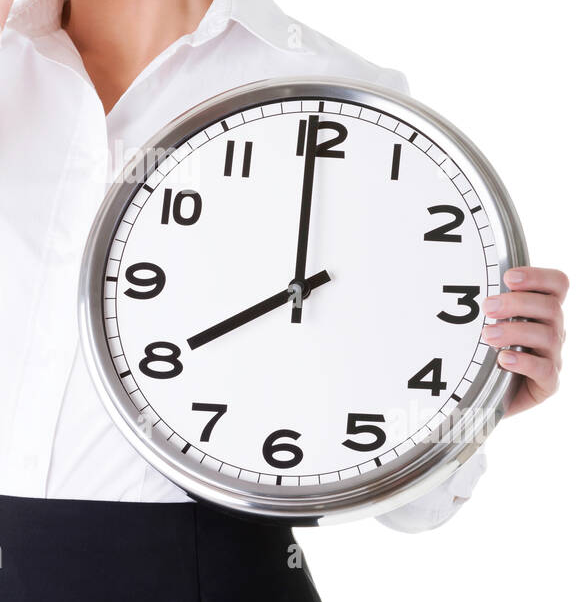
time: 7:59
